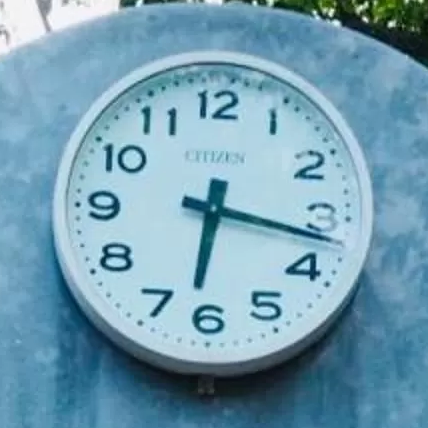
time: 6:17
